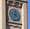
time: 4:02
